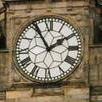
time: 1:55
